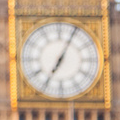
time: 7:04
